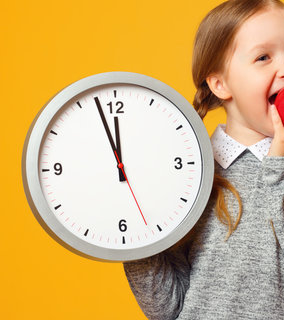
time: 11:57
